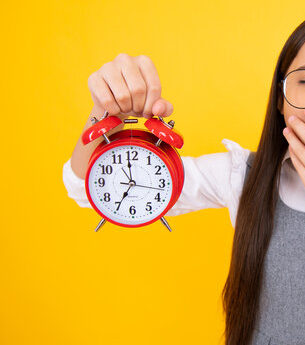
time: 6:58
